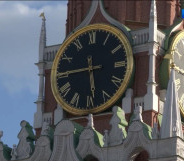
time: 5:45
